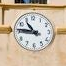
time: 10:46
